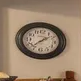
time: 1:36
